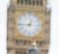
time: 12:43
